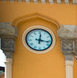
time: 12:16
